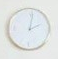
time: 2:01
